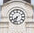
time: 7:32
